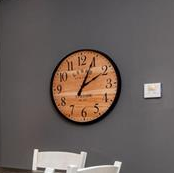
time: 2:04
